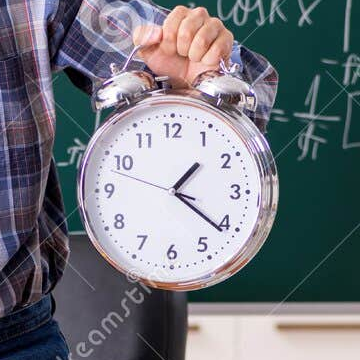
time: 1:21
